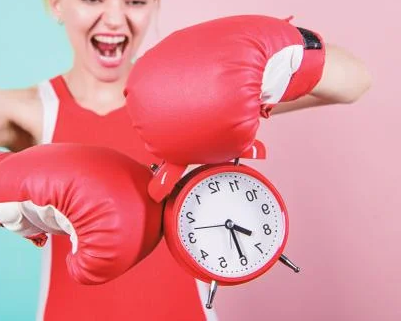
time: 4:30
